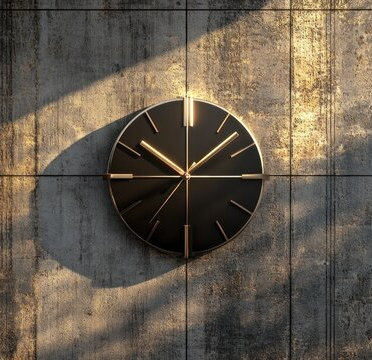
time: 10:07
